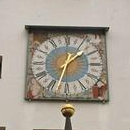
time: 1:33
